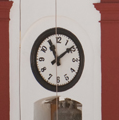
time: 11:08
